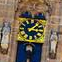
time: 1:16
